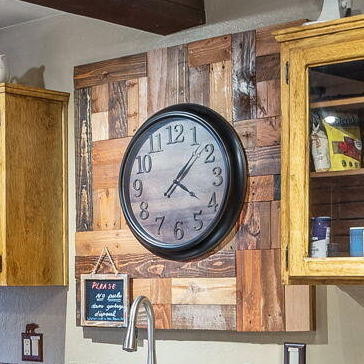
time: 4:07
